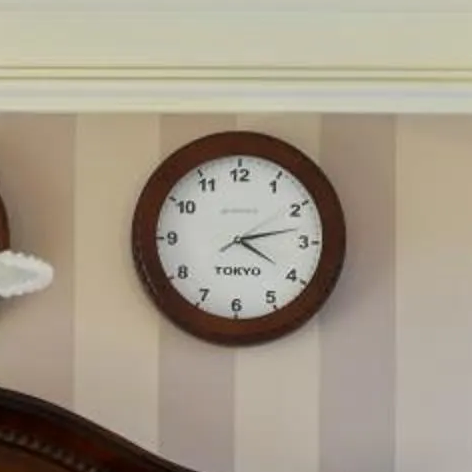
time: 4:12
